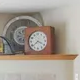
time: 3:38
